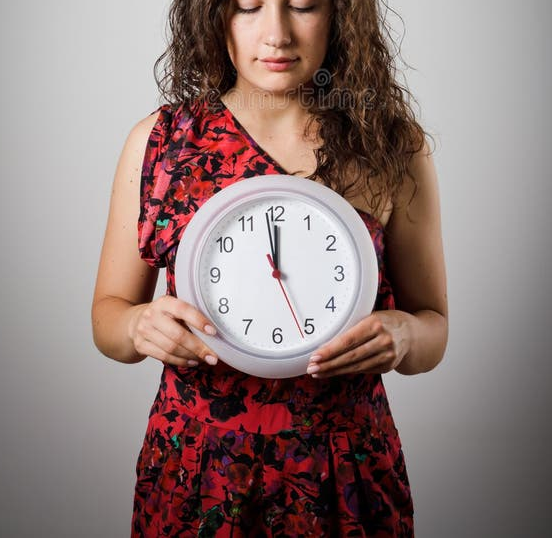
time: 11:58
